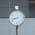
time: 8:41
